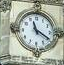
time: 11:20
